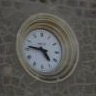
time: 4:46
